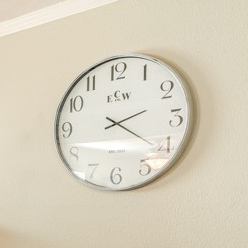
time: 2:20
